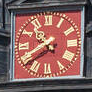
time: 10:39
